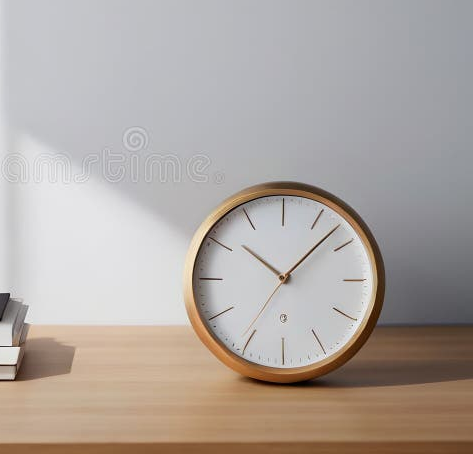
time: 10:07
